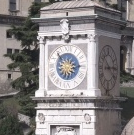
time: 6:14
